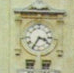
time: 3:35
